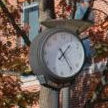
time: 1:23
